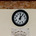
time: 12:06
